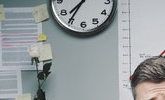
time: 7:35
